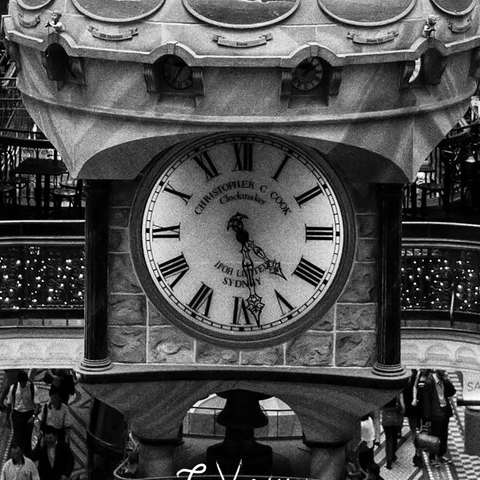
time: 4:28
